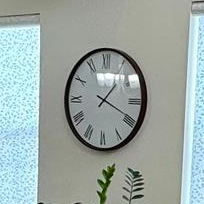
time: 1:18
